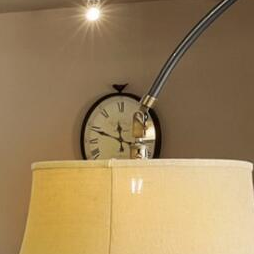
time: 11:48
